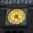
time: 4:34
